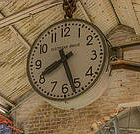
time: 8:26
